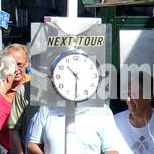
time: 10:30
